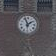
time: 1:56
